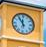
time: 11:54
